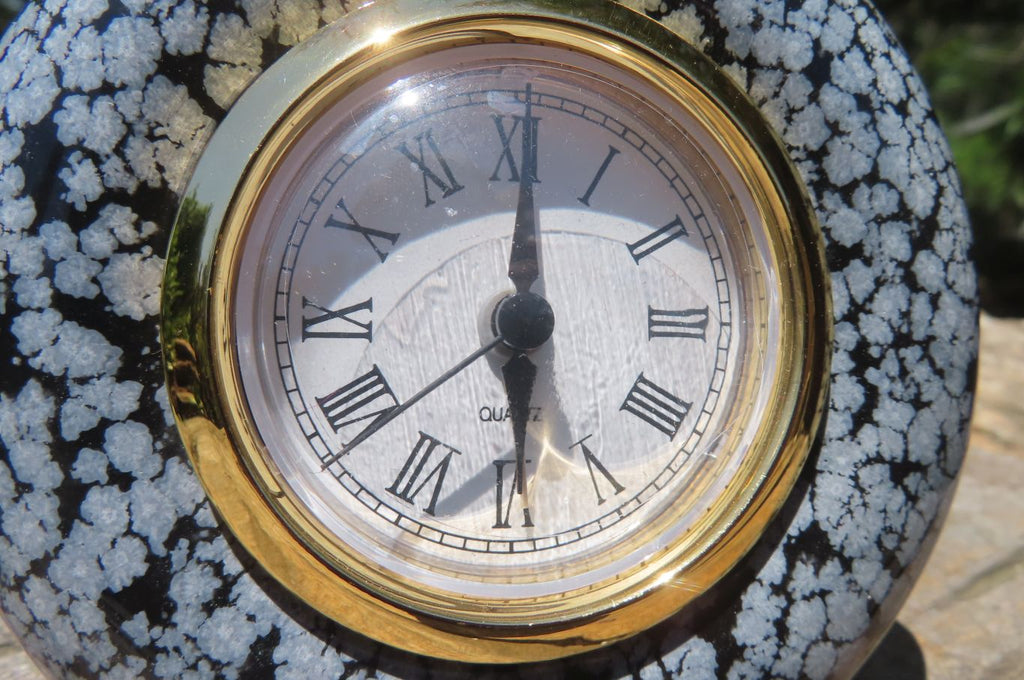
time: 6:00
